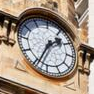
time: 1:34
